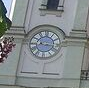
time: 8:16
